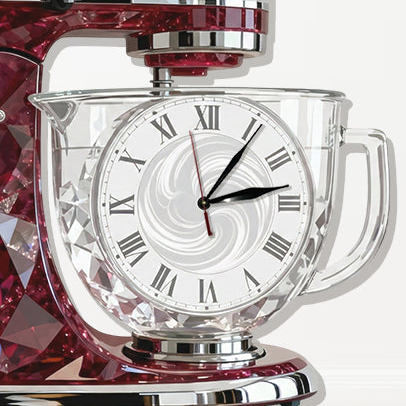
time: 1:13
